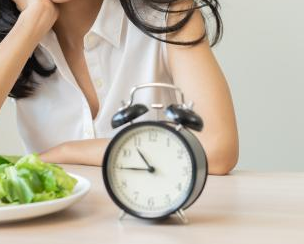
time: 10:45
